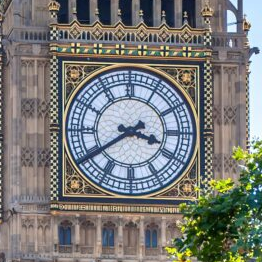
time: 3:39
